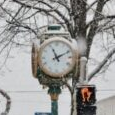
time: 11:10
